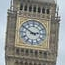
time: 2:50
